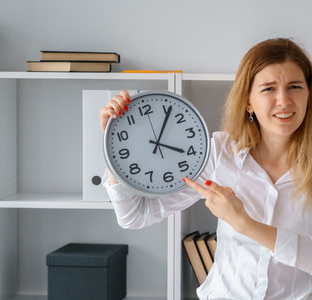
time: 4:06
